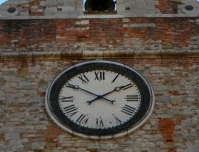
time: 1:50
